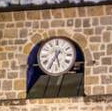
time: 5:35
